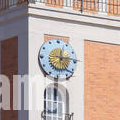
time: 12:14
